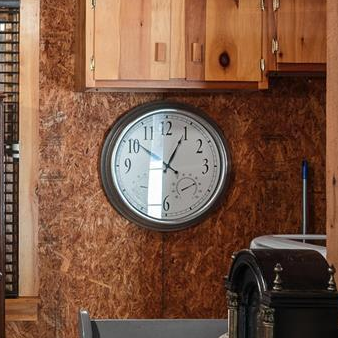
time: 12:50
